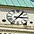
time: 3:05
